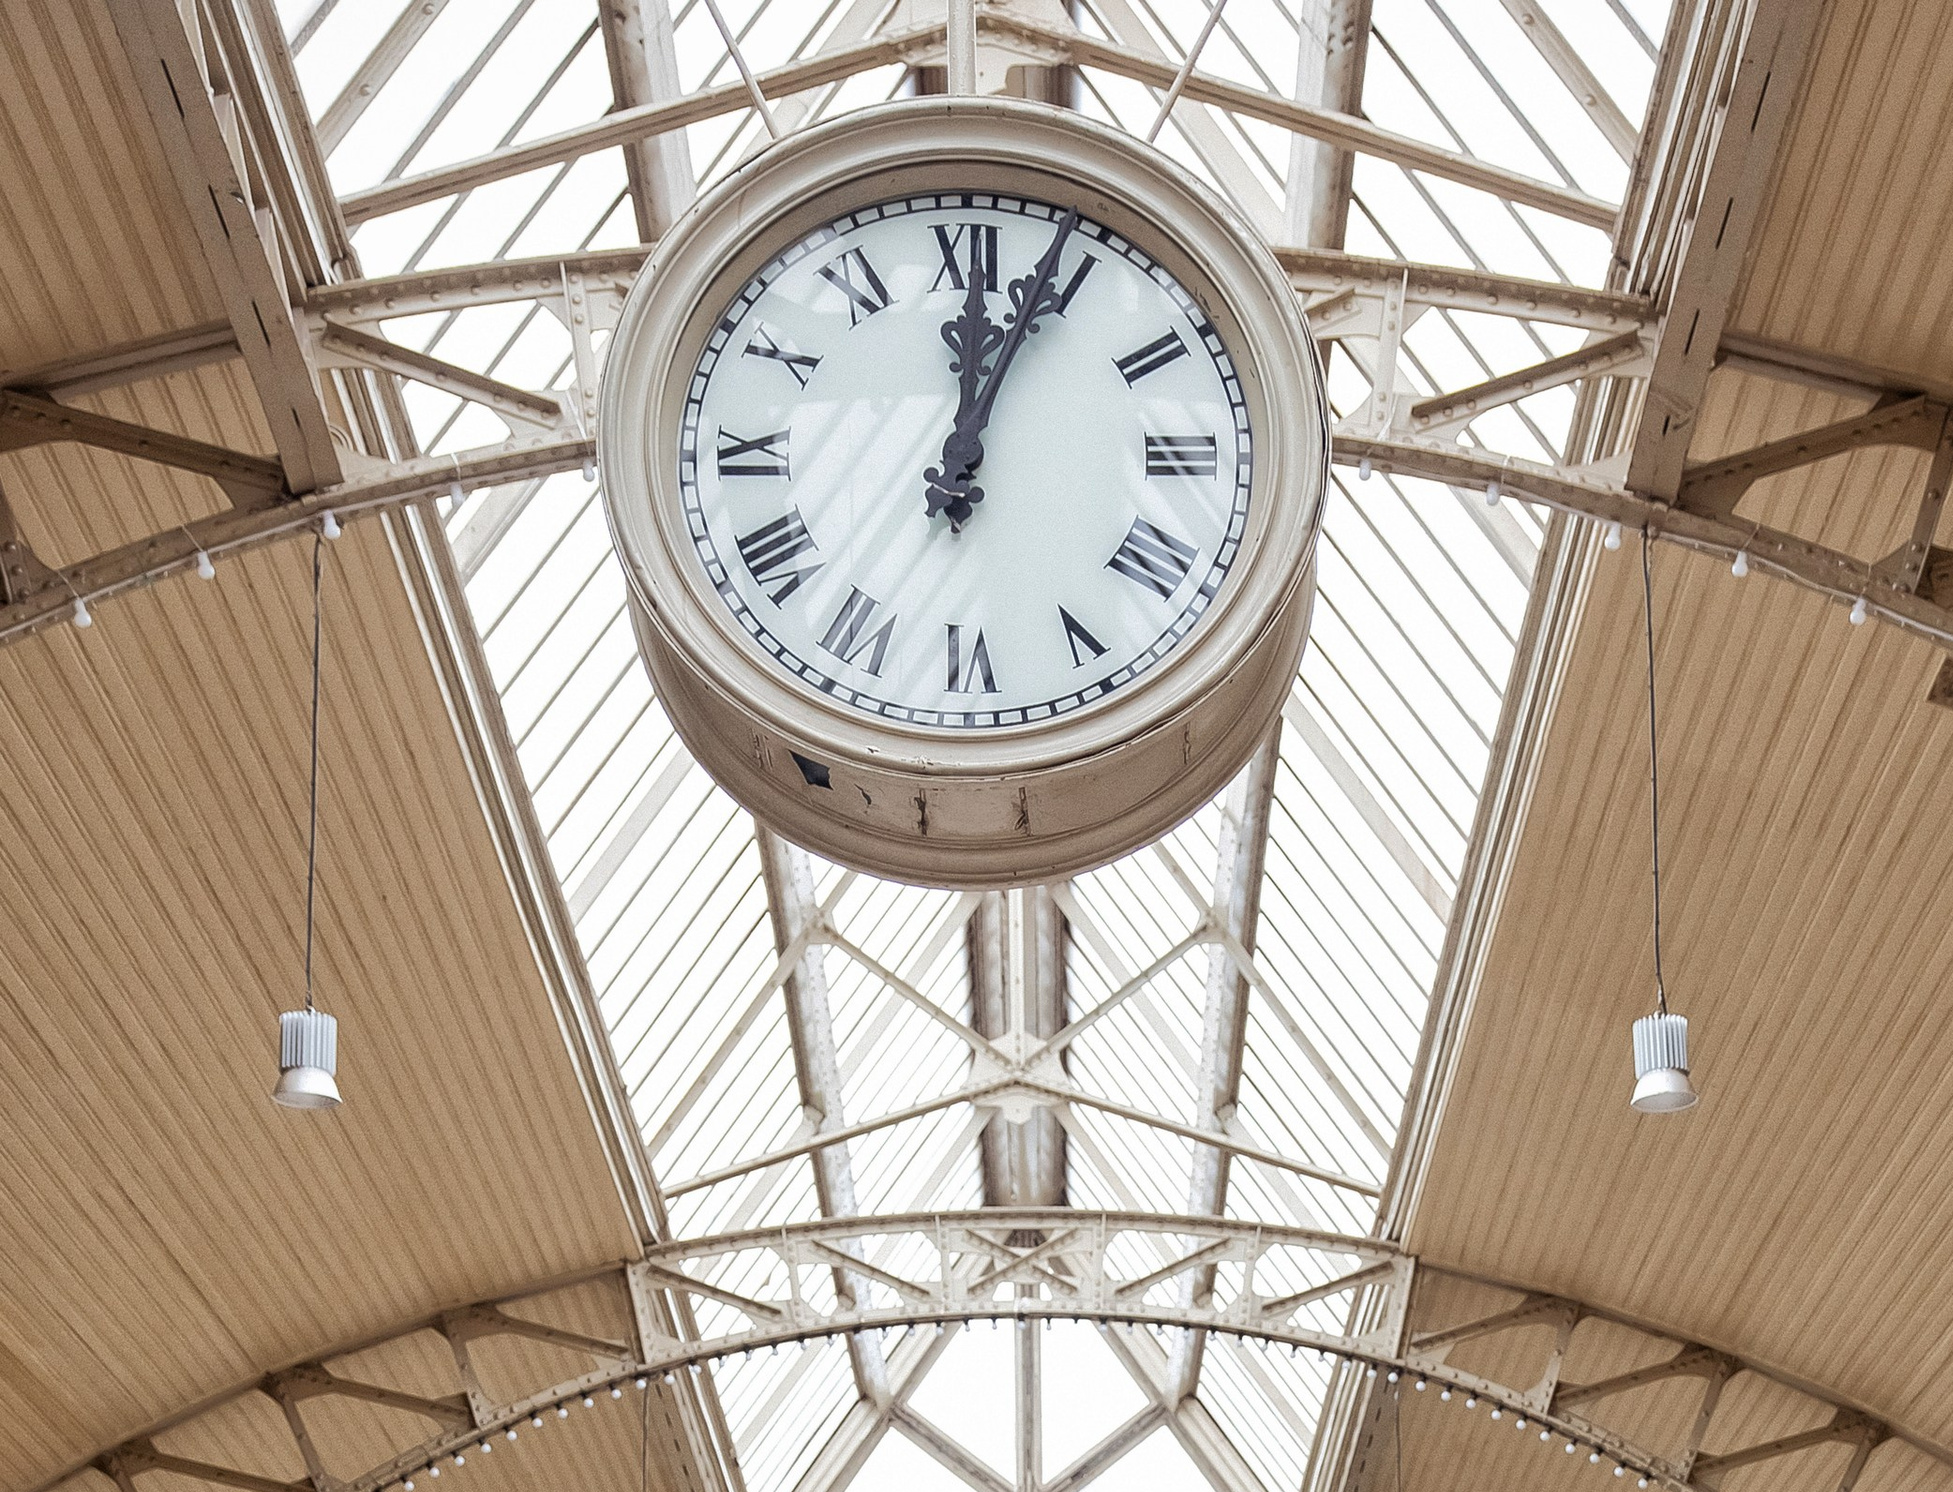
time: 12:03
